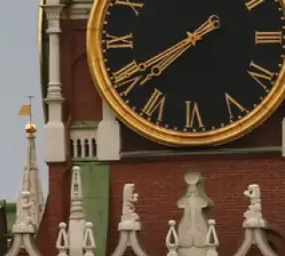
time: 7:40
